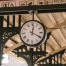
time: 12:19
